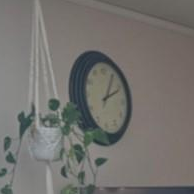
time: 2:04
